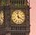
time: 3:58
